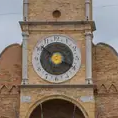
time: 3:51
